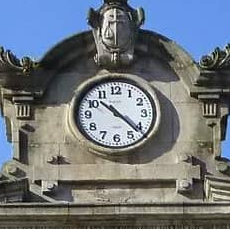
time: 10:22
